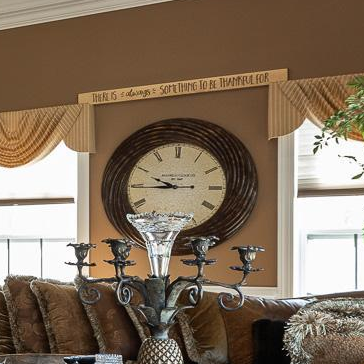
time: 9:44
